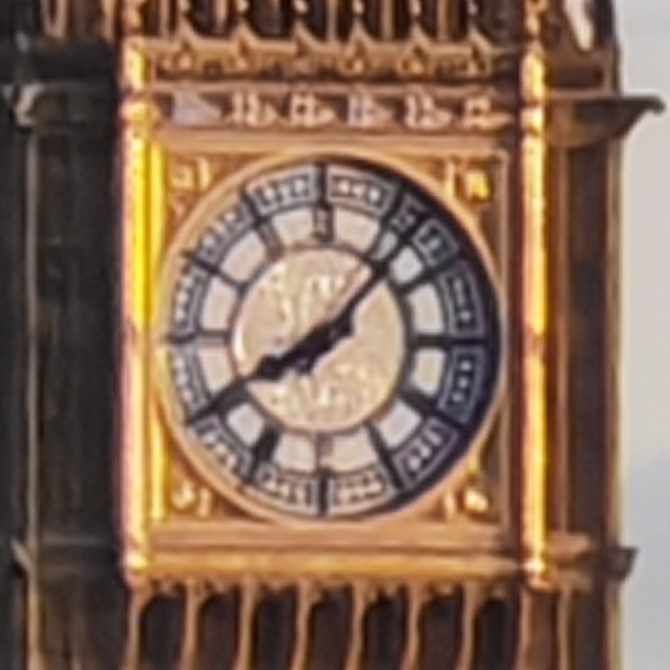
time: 8:07
